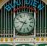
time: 9:36
